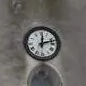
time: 12:12
